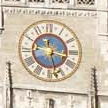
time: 3:27
